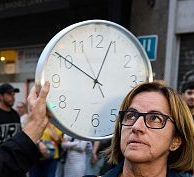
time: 12:50
